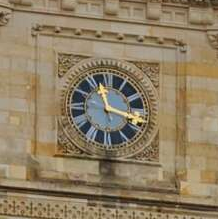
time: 11:17
